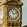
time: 11:10
